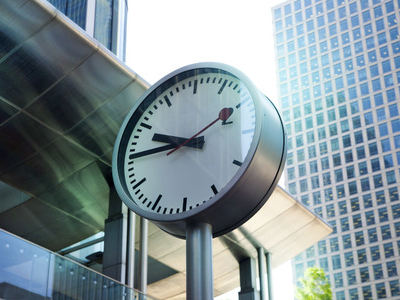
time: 9:44
